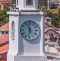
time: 11:32
